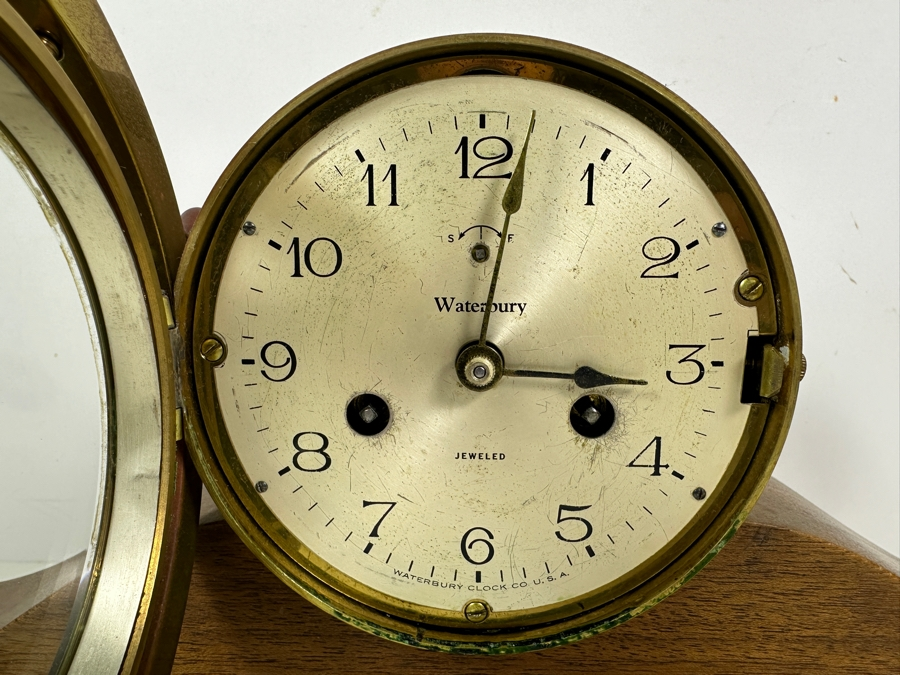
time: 3:01
